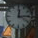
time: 12:14
